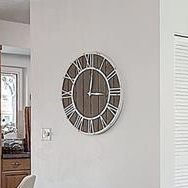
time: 3:01
